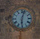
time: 6:03
